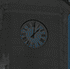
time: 12:07
